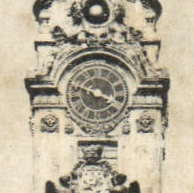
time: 3:47
